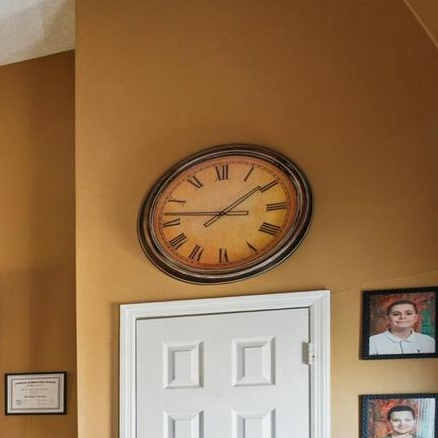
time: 1:46
